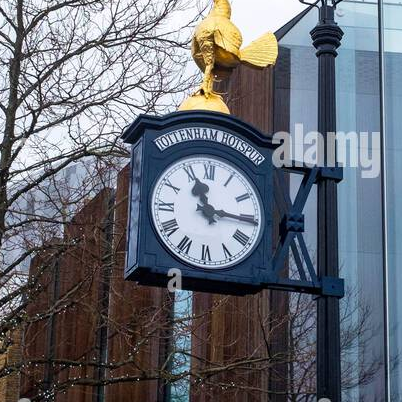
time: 11:15
